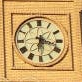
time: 6:17
